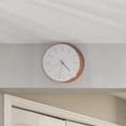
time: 4:32
